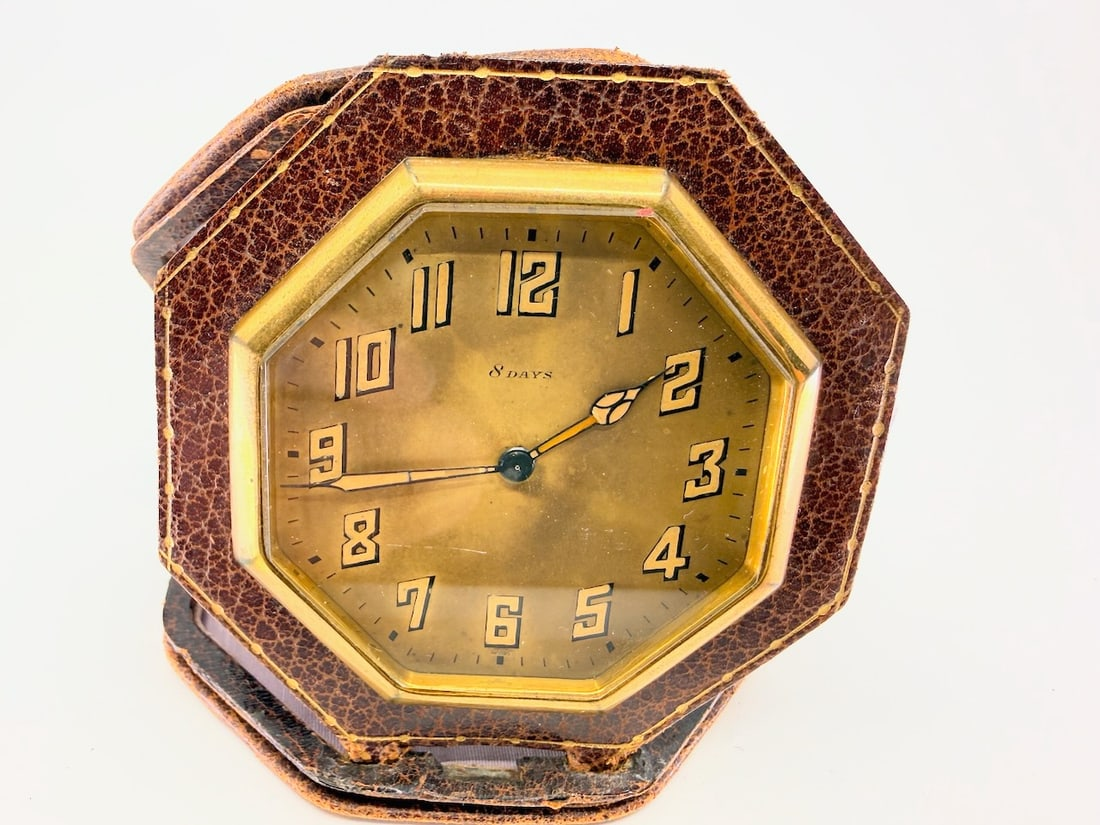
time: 2:09
